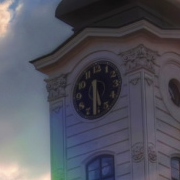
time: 5:30
